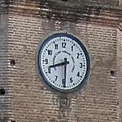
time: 8:29
